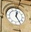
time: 12:24
